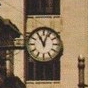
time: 11:03
